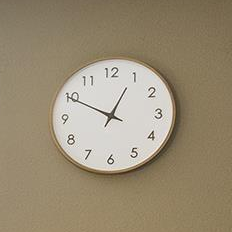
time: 12:49
